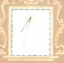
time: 7:33
